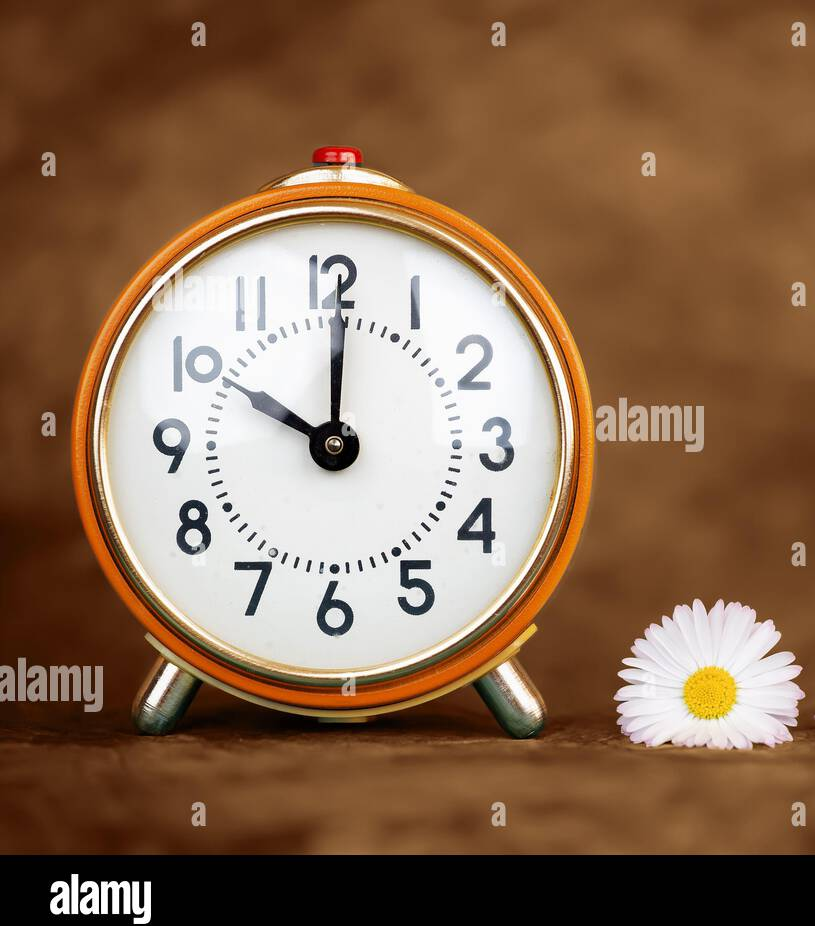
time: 10:00
